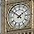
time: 1:51
